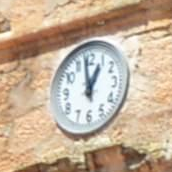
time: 12:58
